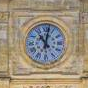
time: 11:02
